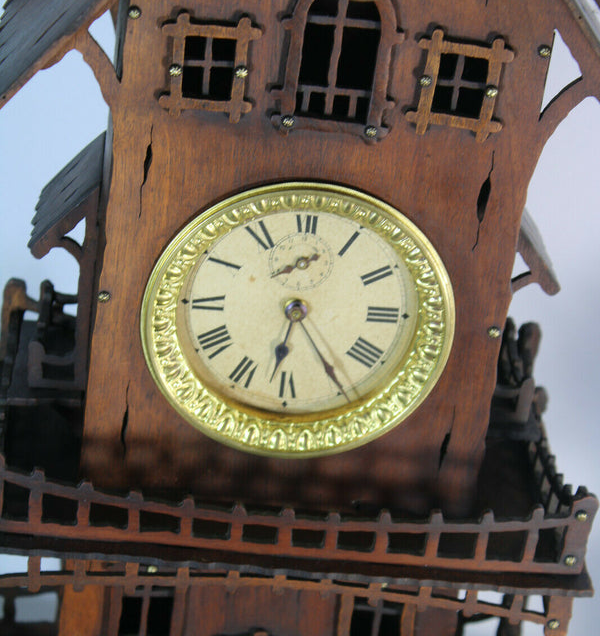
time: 6:24
